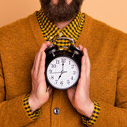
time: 7:00
